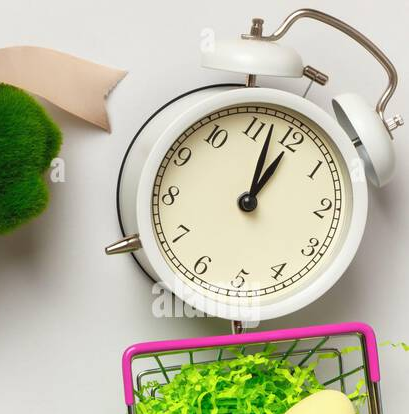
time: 1:02
